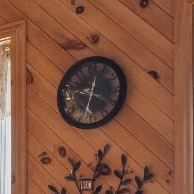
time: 12:32
